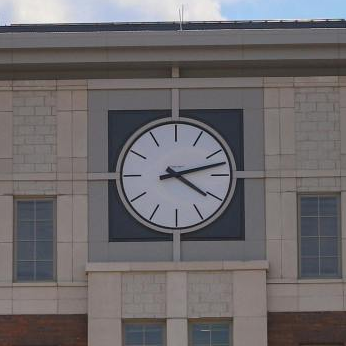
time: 4:12
